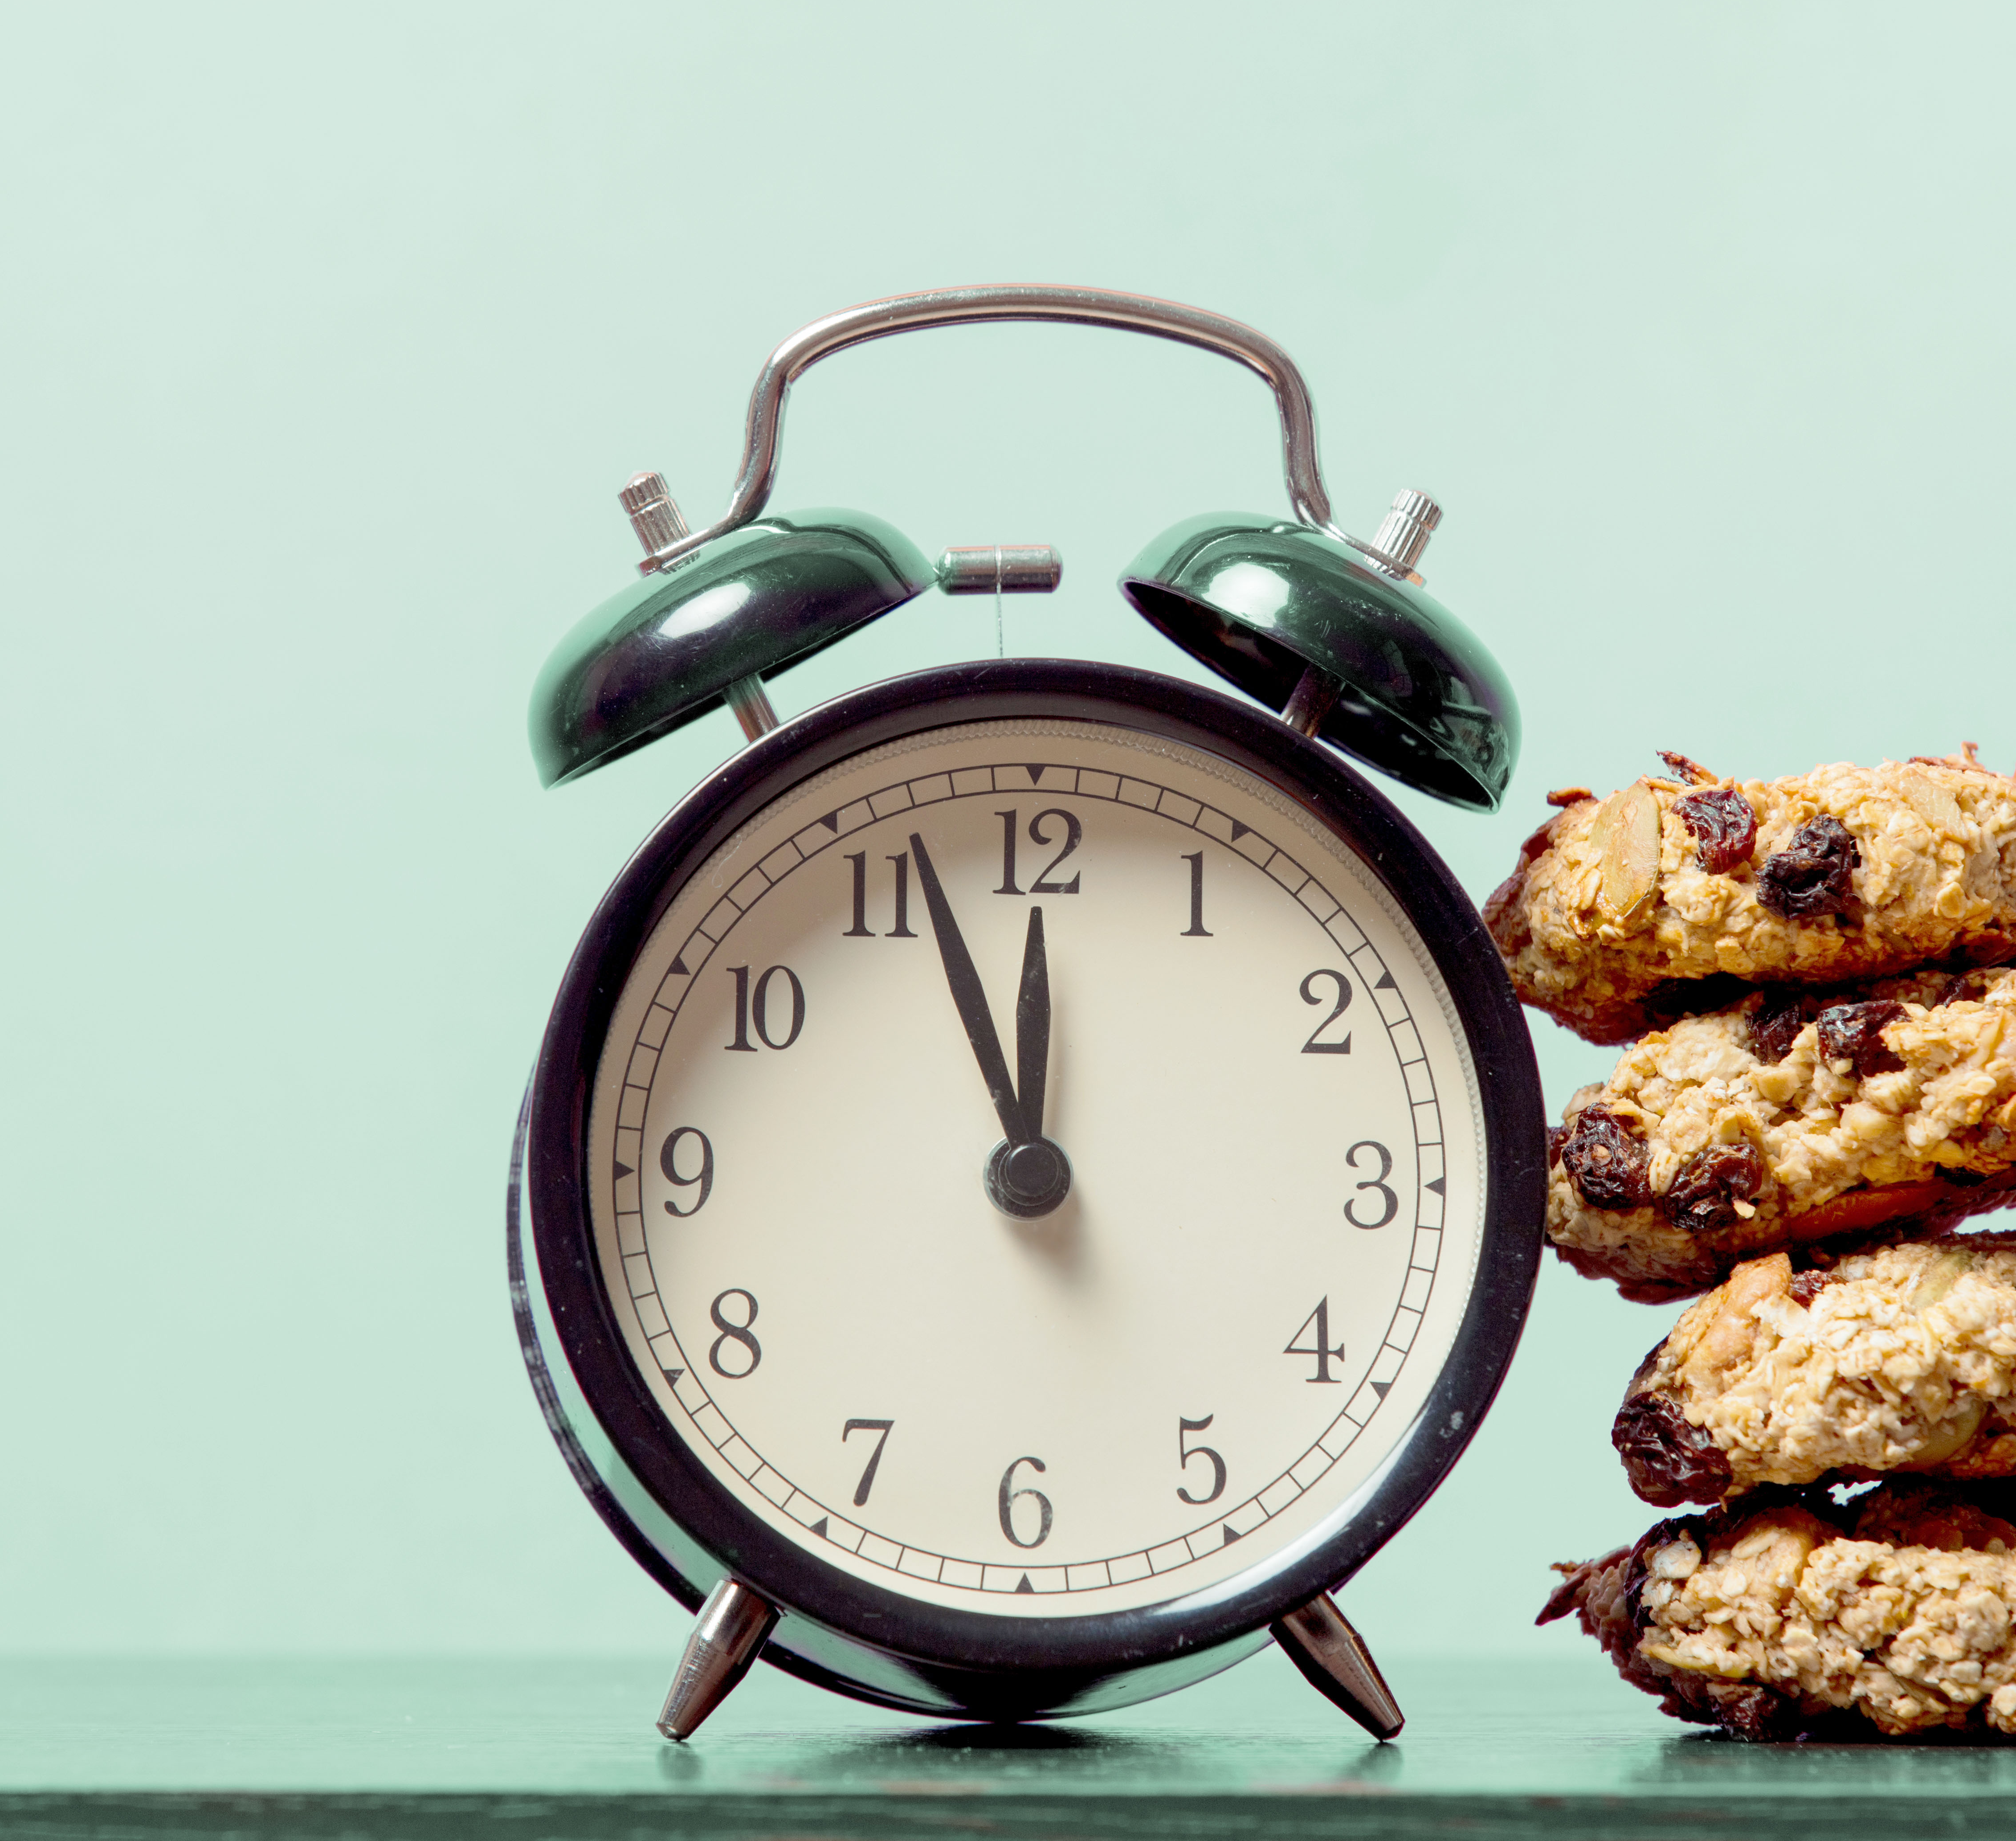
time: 11:56
